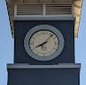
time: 8:07
